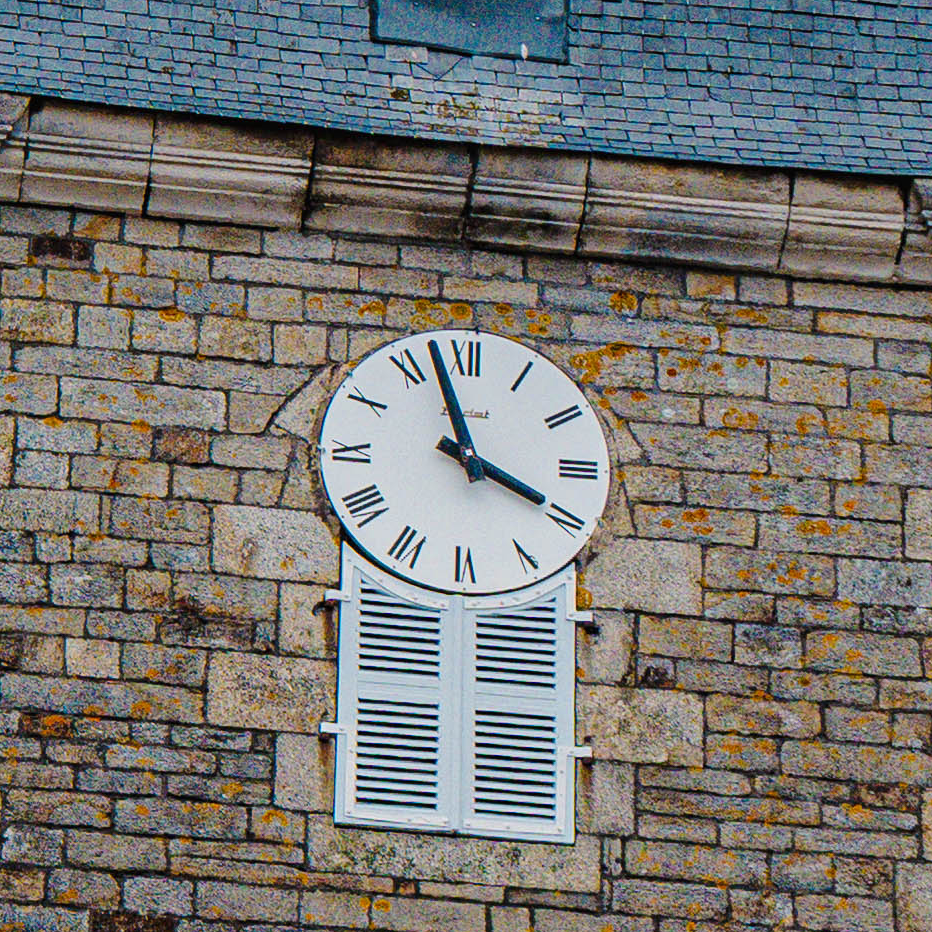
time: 3:57
